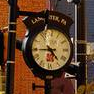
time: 4:44
